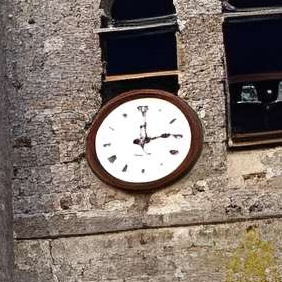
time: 12:13
